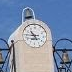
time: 10:45
